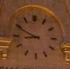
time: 8:49
